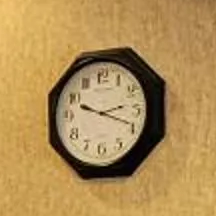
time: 2:18
